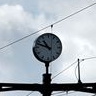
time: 10:48
